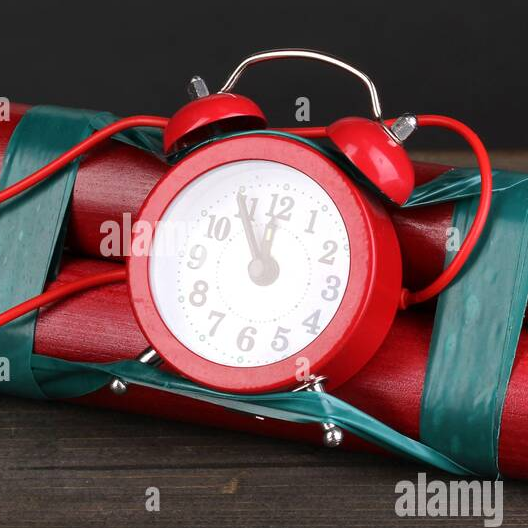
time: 11:54
